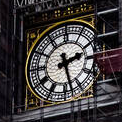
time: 2:27
